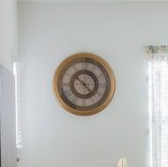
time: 10:23
